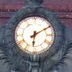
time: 6:10
